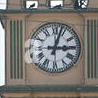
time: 3:02
